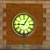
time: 9:05
